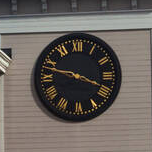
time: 3:47
